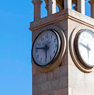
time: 5:46
